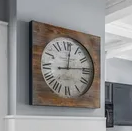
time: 12:14
